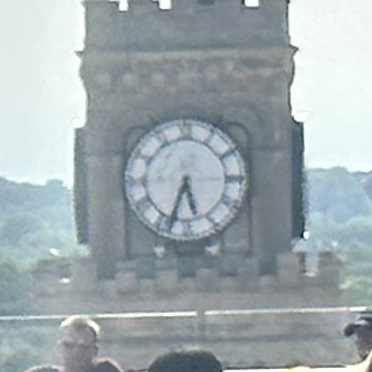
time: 5:33
